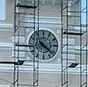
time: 4:21
